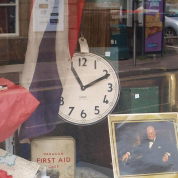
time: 11:10
